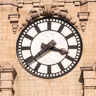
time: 3:38
